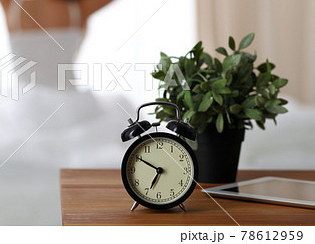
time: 6:50
